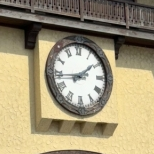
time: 1:43
